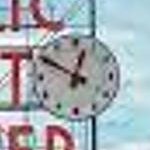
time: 12:49
